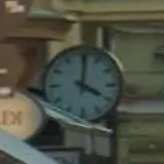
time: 4:01
